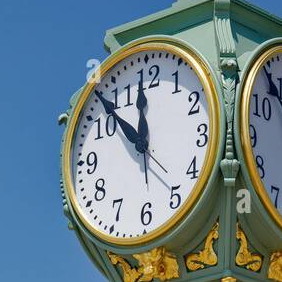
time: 11:52
